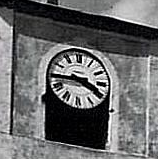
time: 3:44
